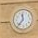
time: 11:36
